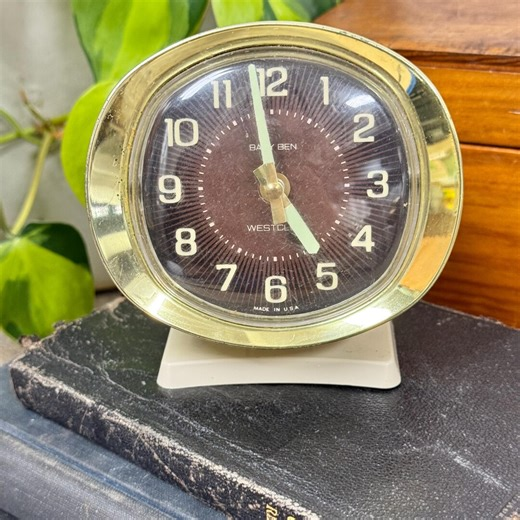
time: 4:58
